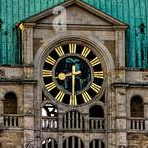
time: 8:30
